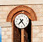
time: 7:24
